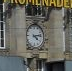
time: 4:13
